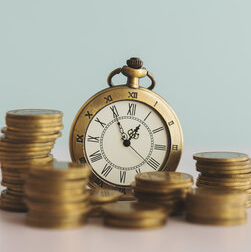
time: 12:55
